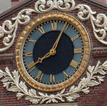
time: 8:04
